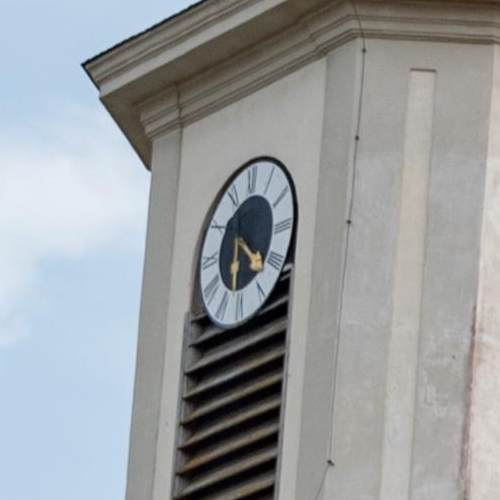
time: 6:21
